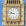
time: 9:45
